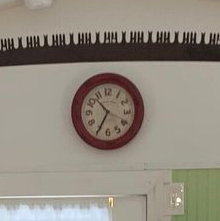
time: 10:34
